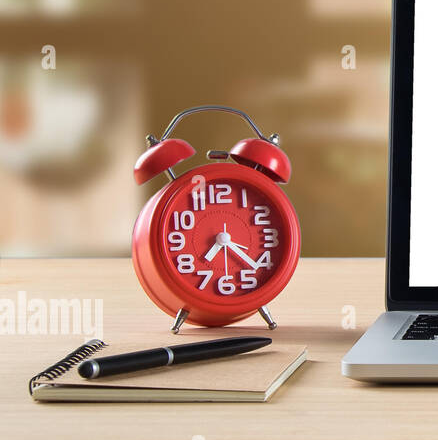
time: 7:21
